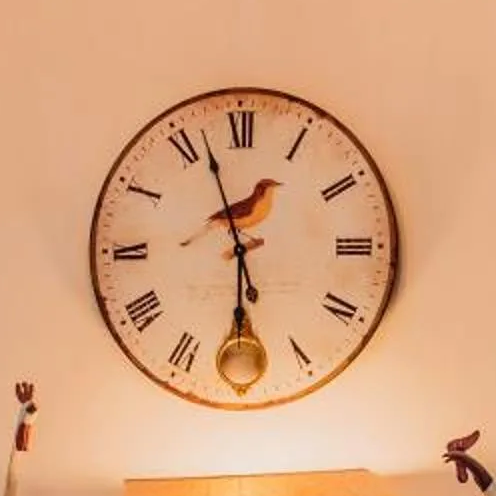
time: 5:57
